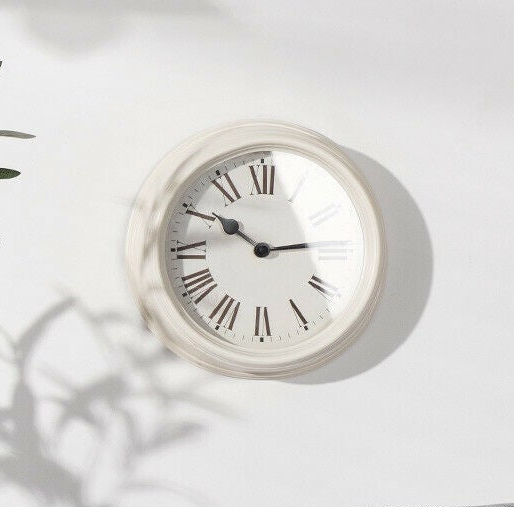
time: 10:13
